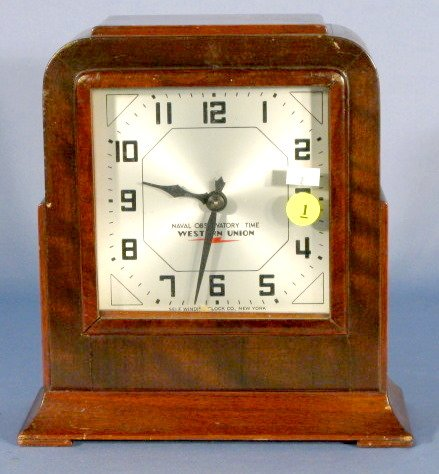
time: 9:32
